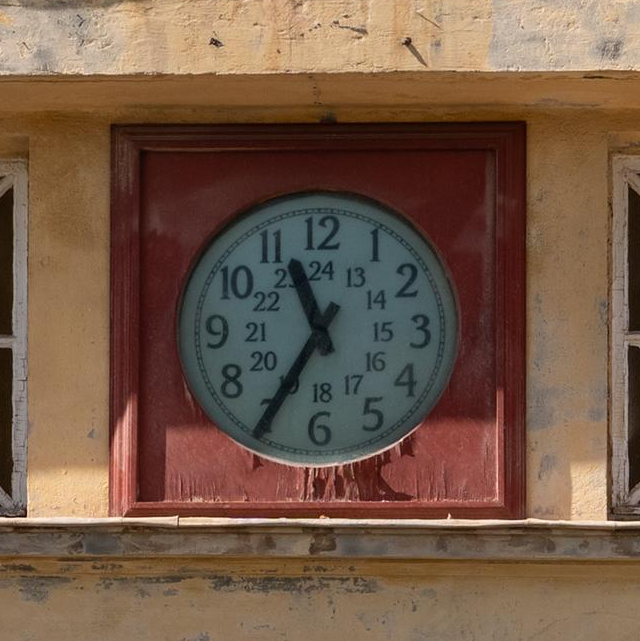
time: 11:35
